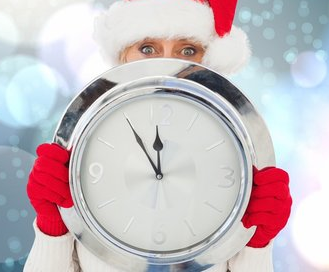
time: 11:54
